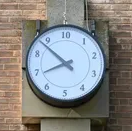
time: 7:52
